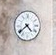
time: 4:38
